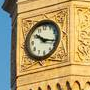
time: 10:17
